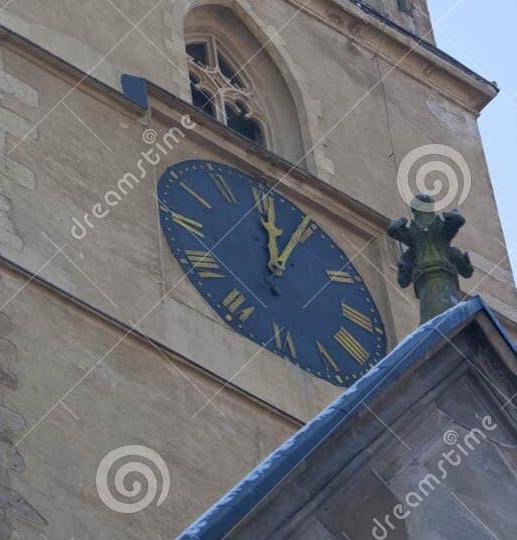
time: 12:04
